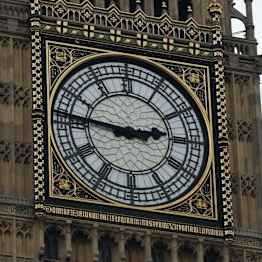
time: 2:46
